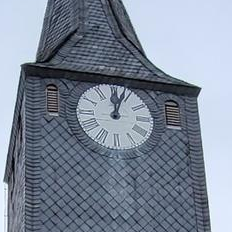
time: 12:03
